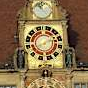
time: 8:11
